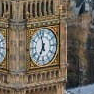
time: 6:58
